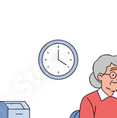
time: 4:00
